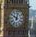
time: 10:02
